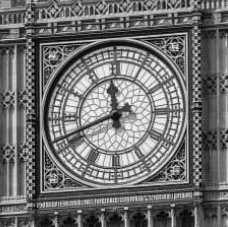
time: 11:41
